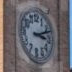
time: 3:11
